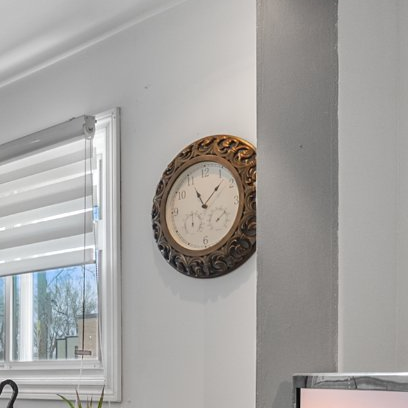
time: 11:07
